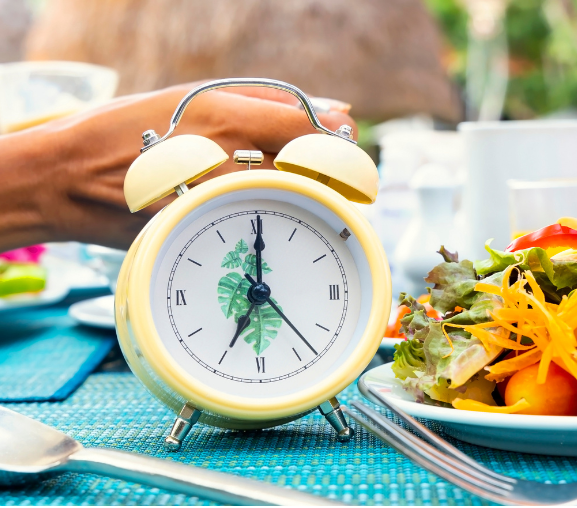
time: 7:00
